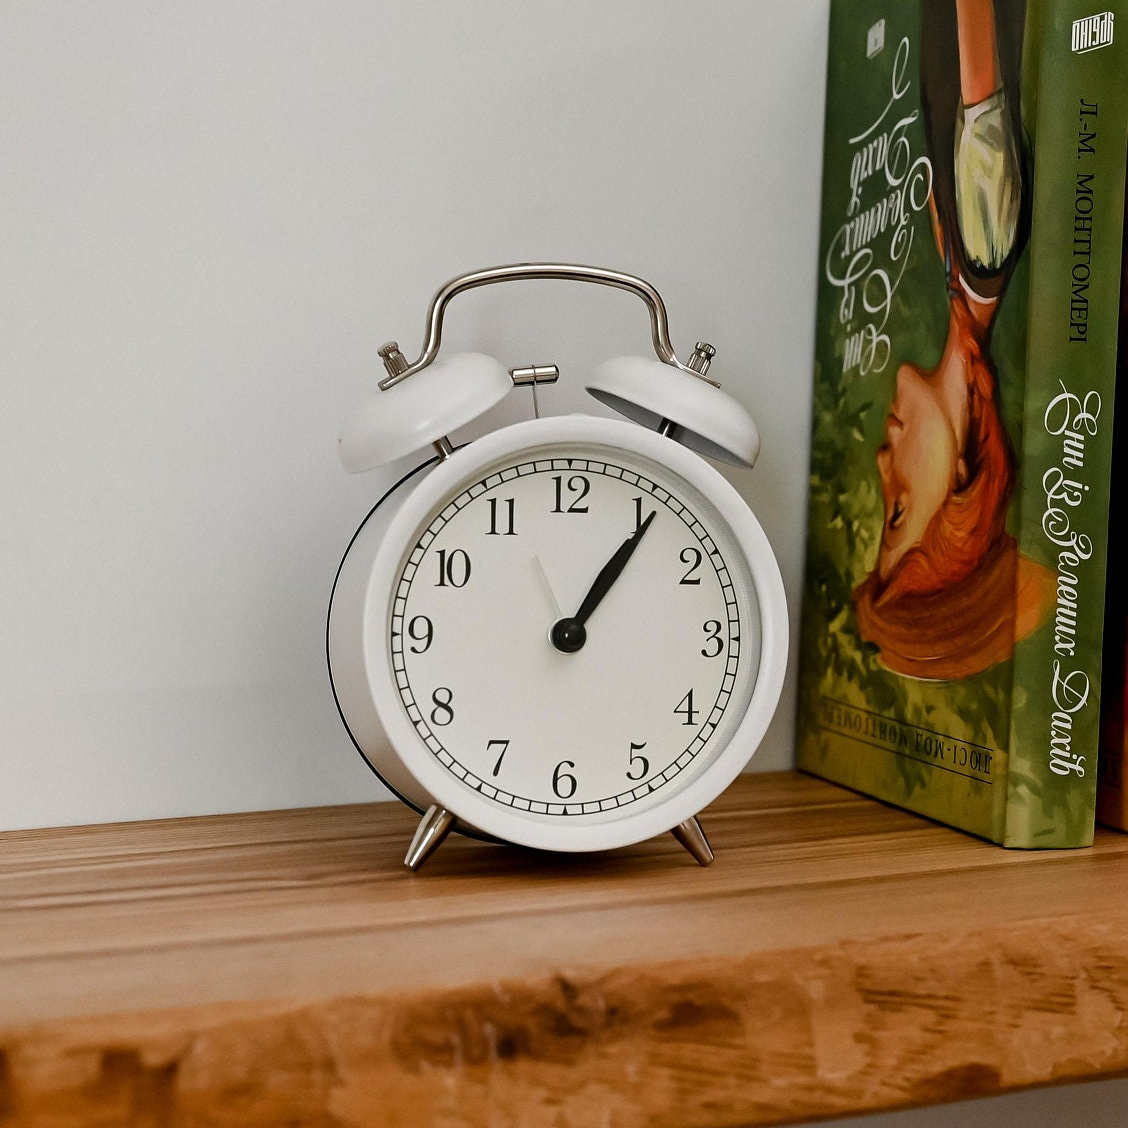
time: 1:06
